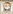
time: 8:12
